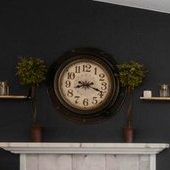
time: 8:18
